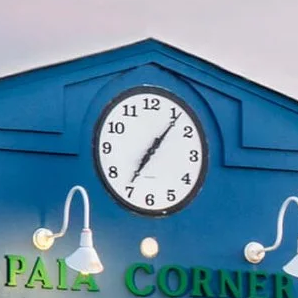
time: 7:06
